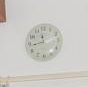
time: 11:43
